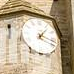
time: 1:18
